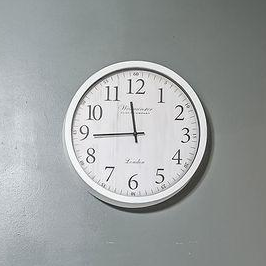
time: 11:44
